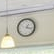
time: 1:17
